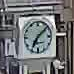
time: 7:08
